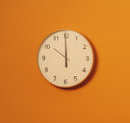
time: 9:59
